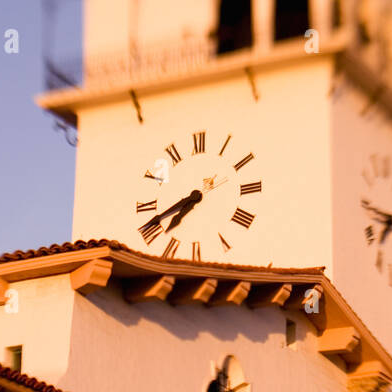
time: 7:41
